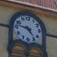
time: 4:47
